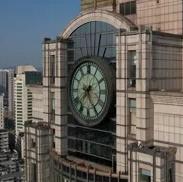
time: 7:25
